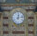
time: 12:13
